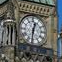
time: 12:30
